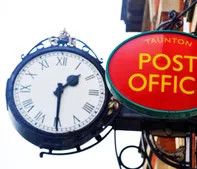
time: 1:30
